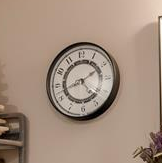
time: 4:42
